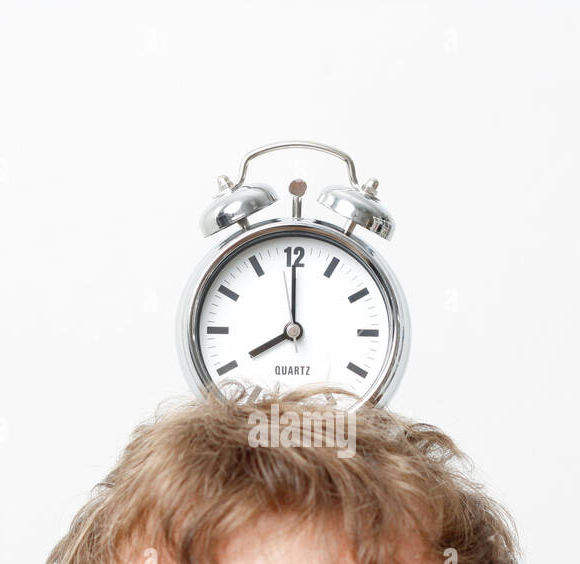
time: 8:00
